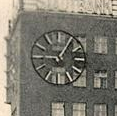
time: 9:05
